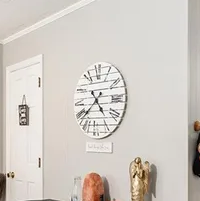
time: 4:37
